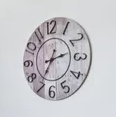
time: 2:35
